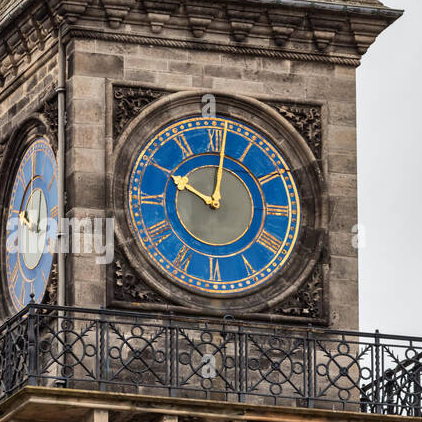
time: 10:01
